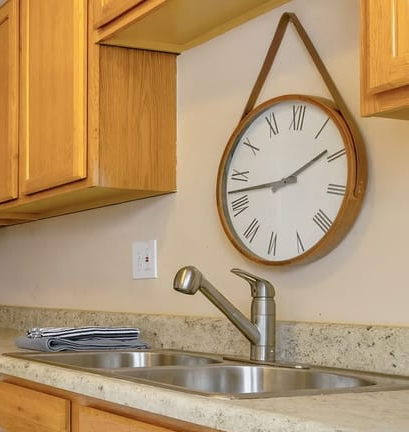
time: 1:42
